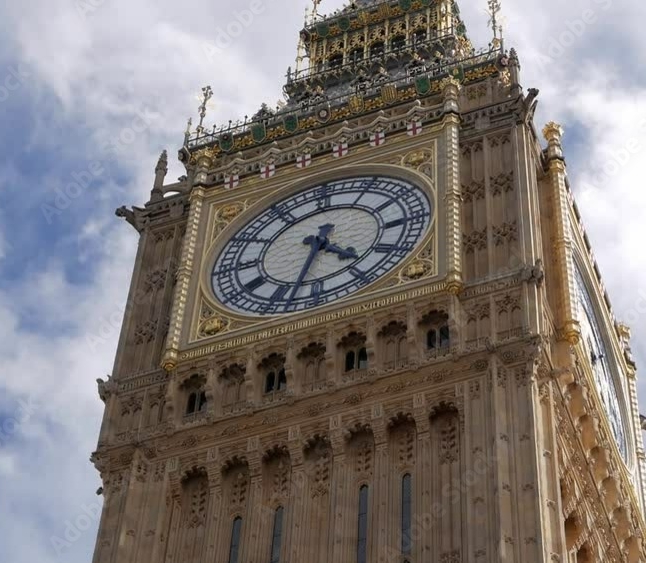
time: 4:33
